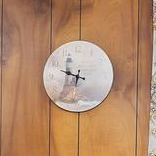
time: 9:32
